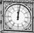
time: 12:01
